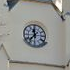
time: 11:36
